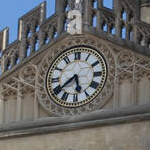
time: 5:39
